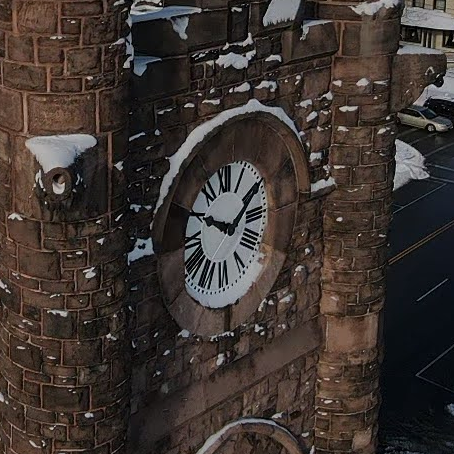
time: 1:49
